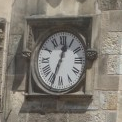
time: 12:33
